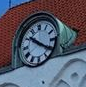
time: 10:20
